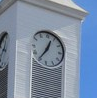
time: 12:35
